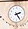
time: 2:24
